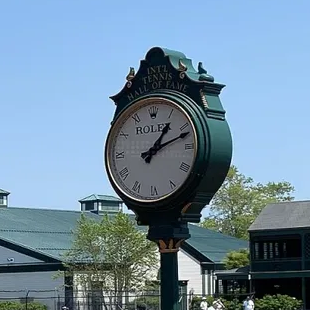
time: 1:11
